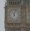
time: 11:02
